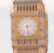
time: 2:28
